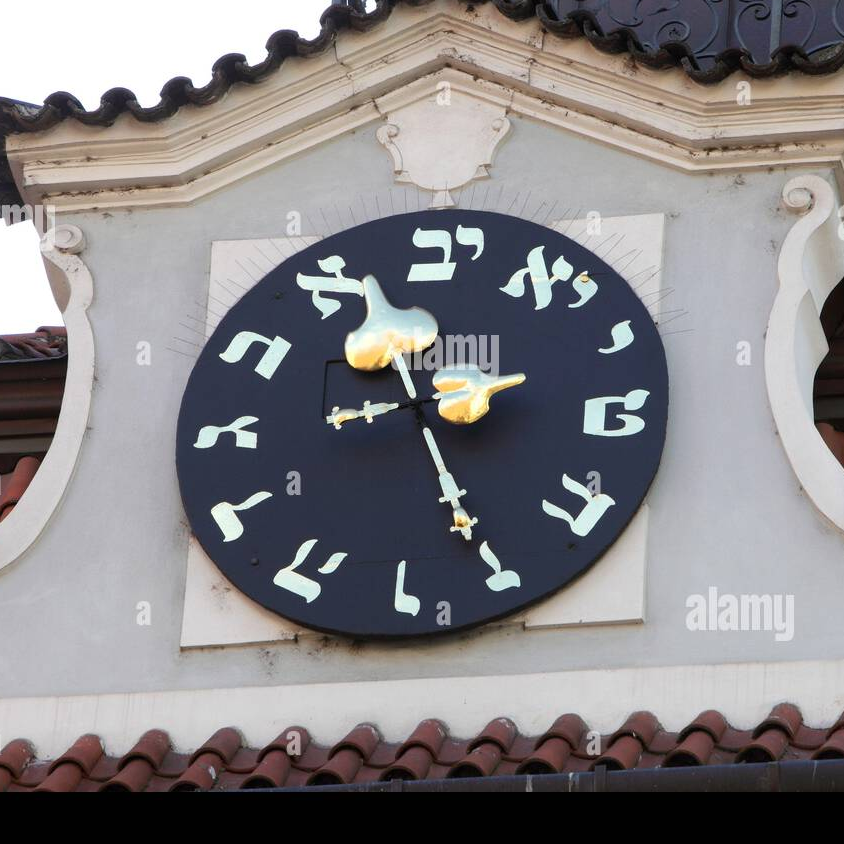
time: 11:25
